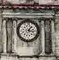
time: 1:16
